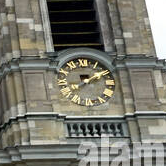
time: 2:09
